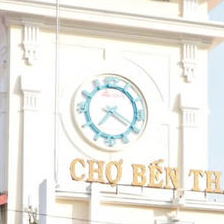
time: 7:19
